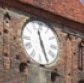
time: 11:26
